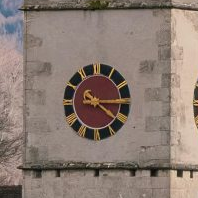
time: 4:14
